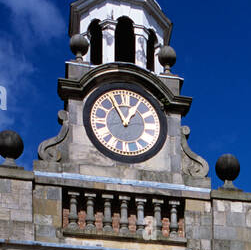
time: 12:55
